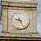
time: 9:25
